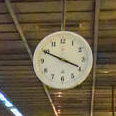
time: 3:49
